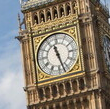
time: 11:27
